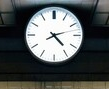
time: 4:12
